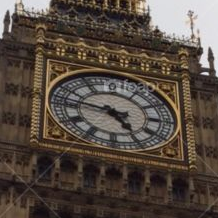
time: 4:46
